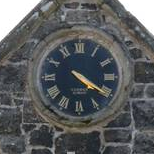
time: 4:20
